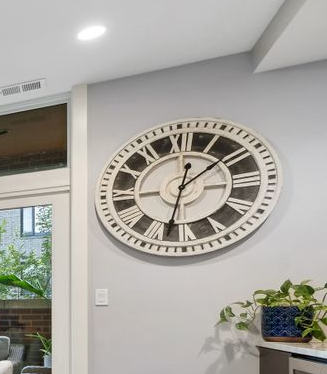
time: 1:32
